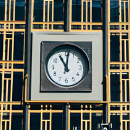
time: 11:01
